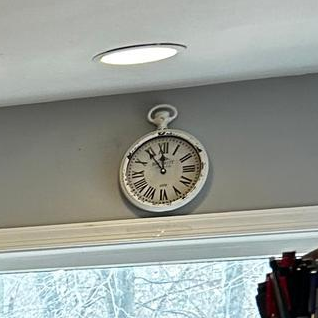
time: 11:54
